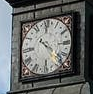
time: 4:22
